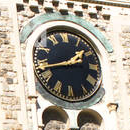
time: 1:42
